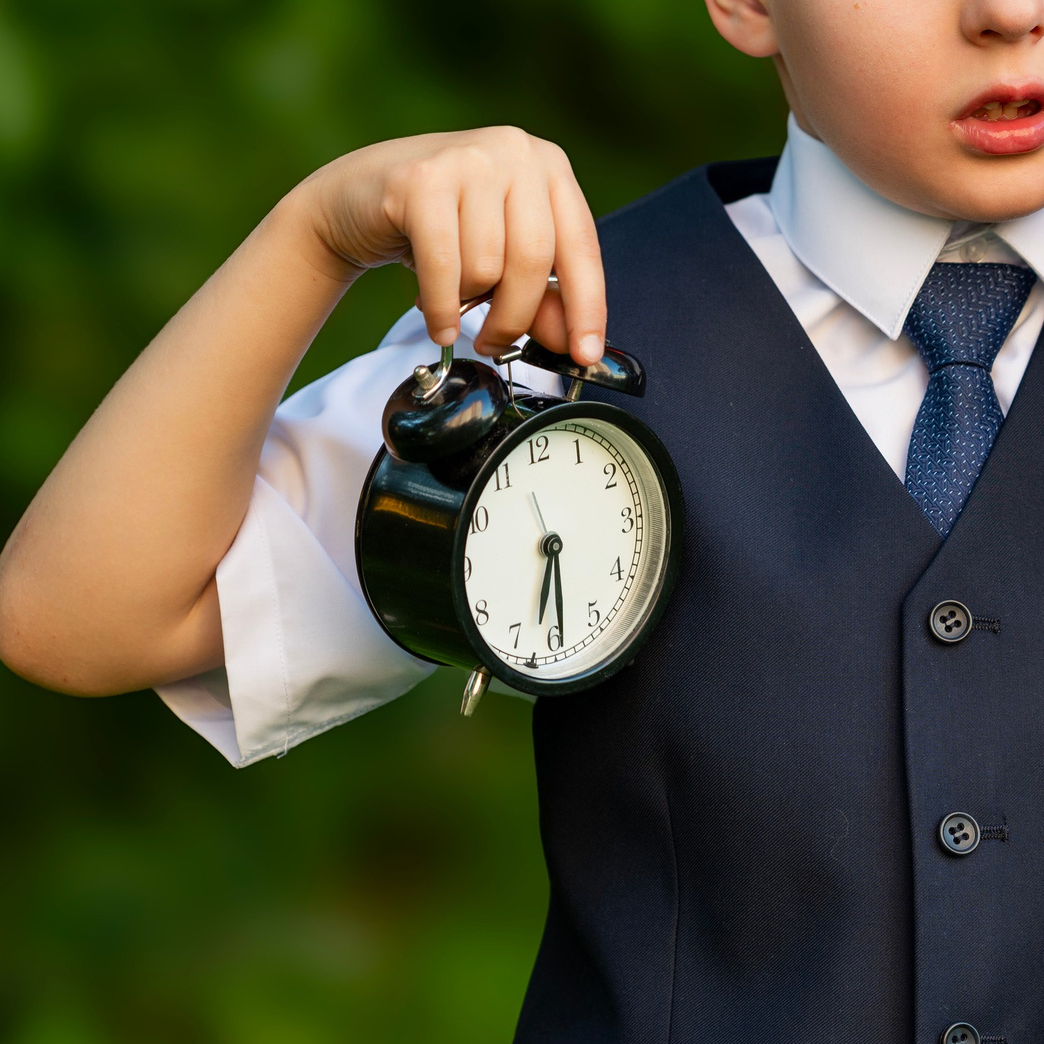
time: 6:29
